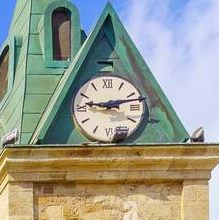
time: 9:12
